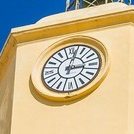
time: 3:02
